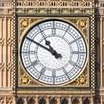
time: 10:49
